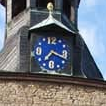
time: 7:18
